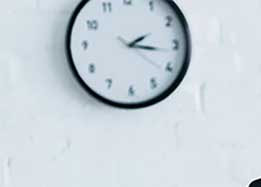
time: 2:16
